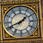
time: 1:41
